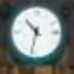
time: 10:32
